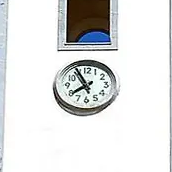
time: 7:55
